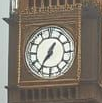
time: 12:35
